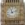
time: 11:12
